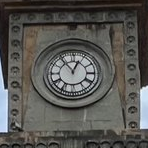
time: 12:54
